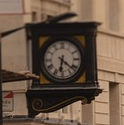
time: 6:21
